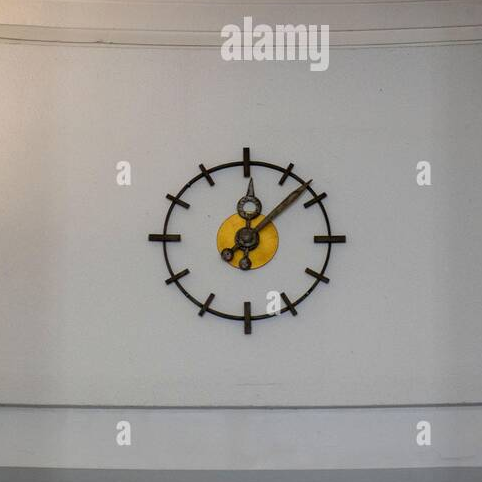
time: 12:07
